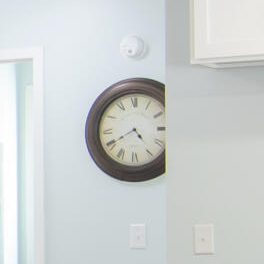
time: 4:40
